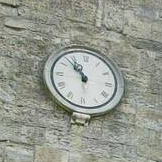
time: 10:52
